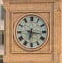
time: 6:16
